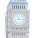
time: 11:14
